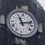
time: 11:12
